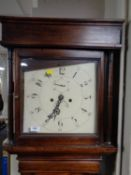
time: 6:34
